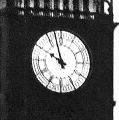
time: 9:57
